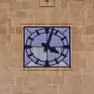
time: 4:02
